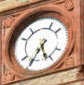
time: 5:35
